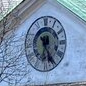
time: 6:25
